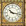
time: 10:17
